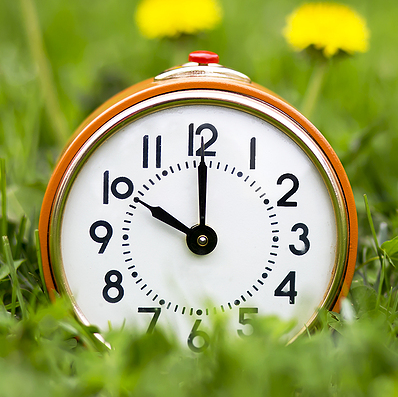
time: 10:00
